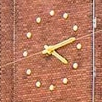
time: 4:12
